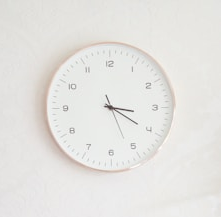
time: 3:20
